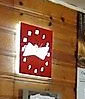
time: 3:42
